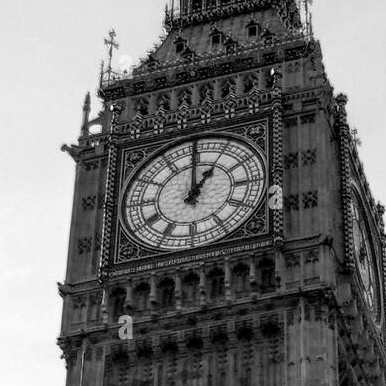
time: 1:00
